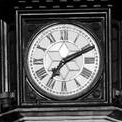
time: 7:11
